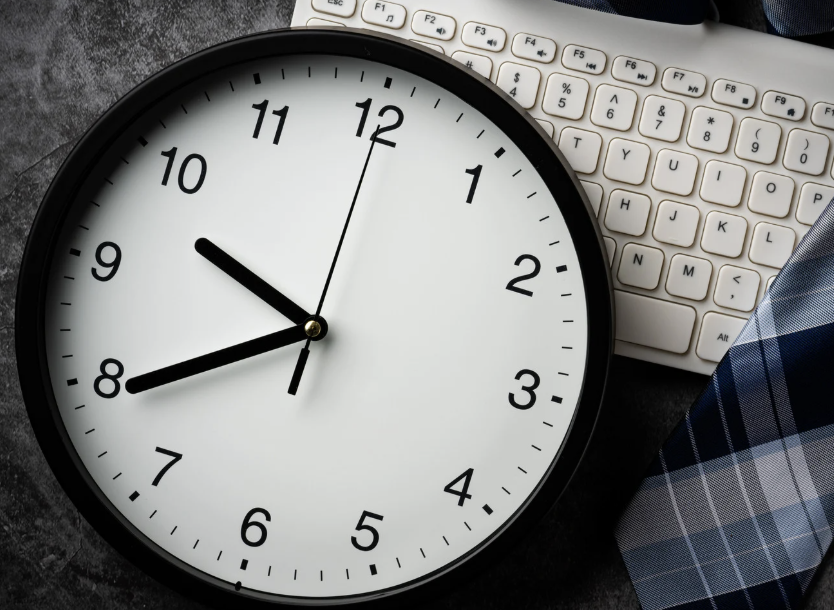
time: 9:39
